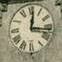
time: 12:16
